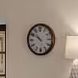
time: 10:50
